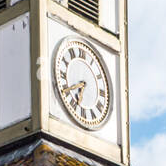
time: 6:40
